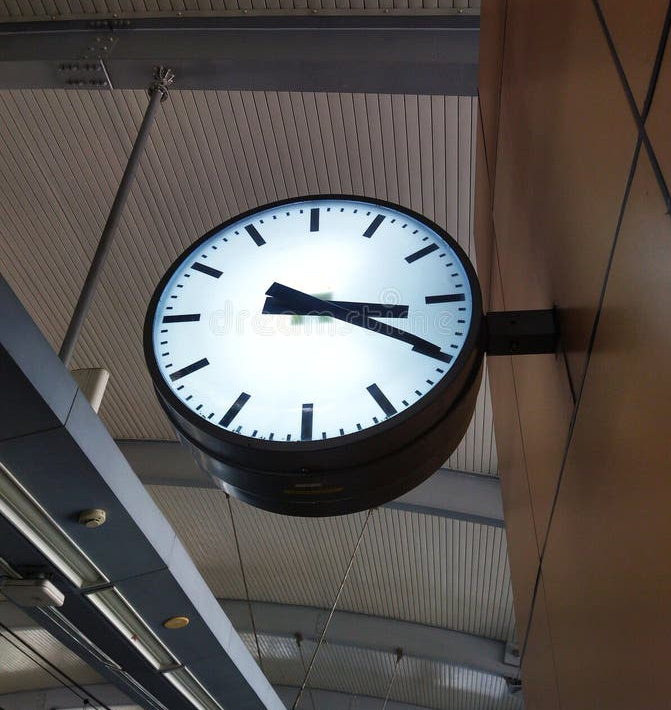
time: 3:19
